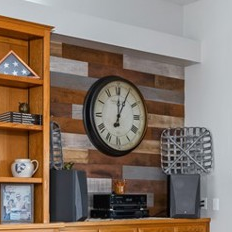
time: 12:04
